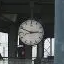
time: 2:48
